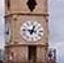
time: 12:46
